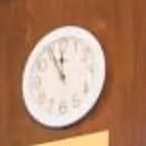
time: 11:55
